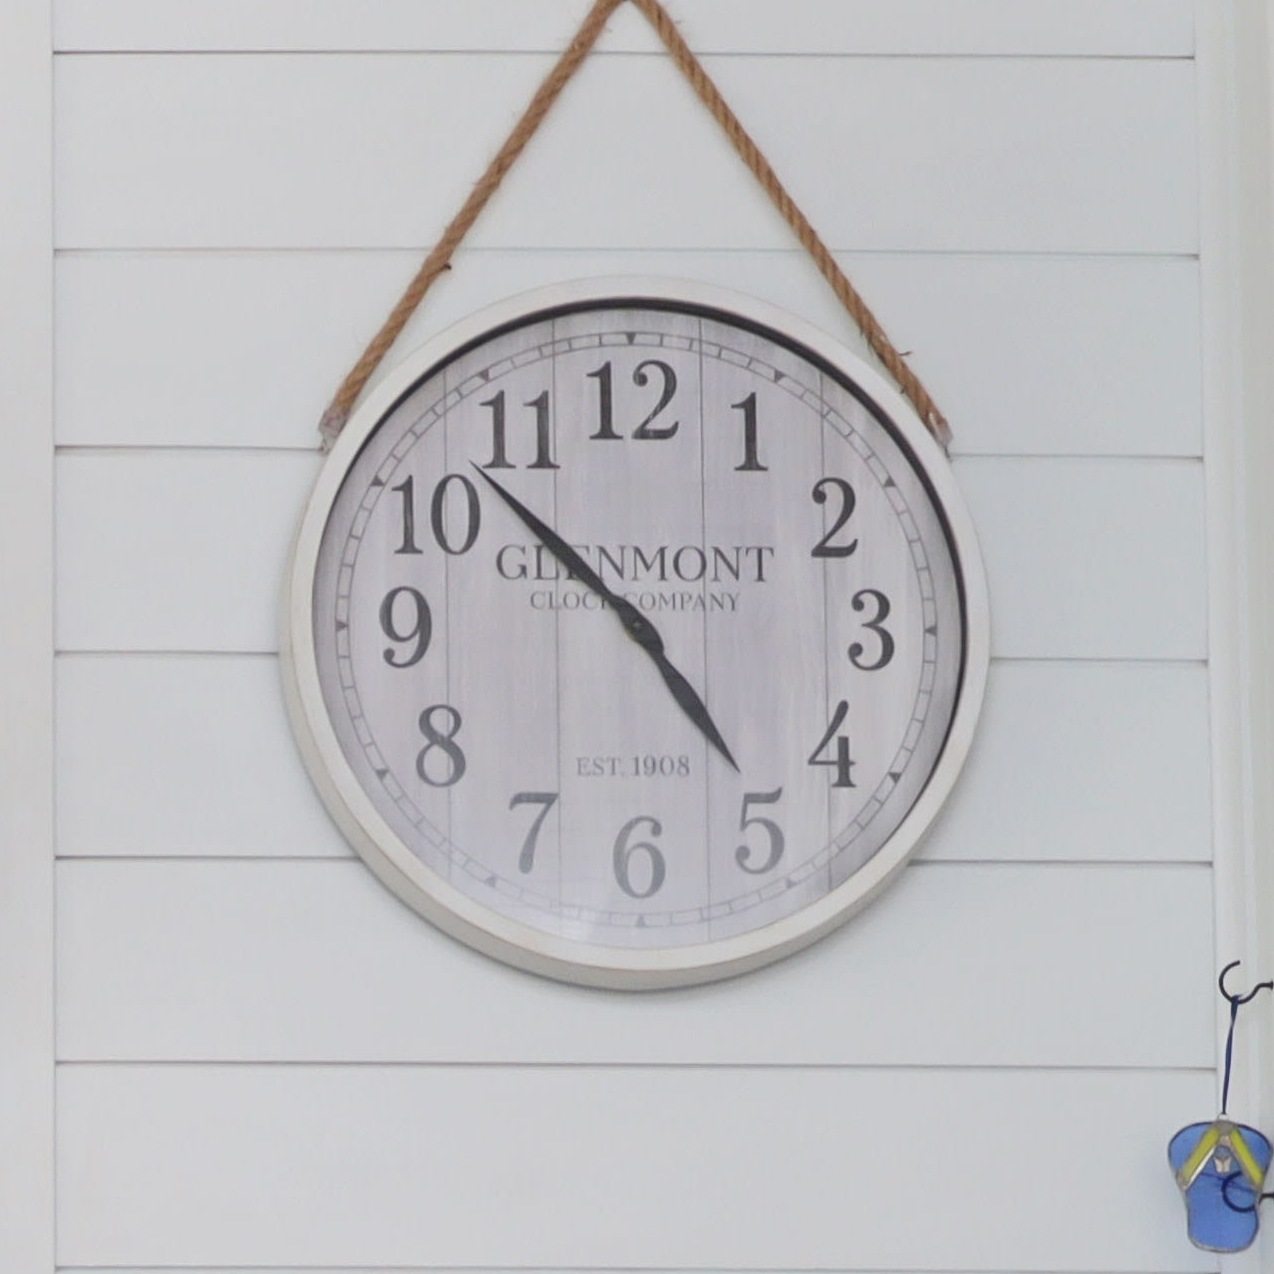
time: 4:52
